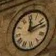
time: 12:12
